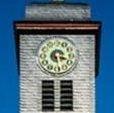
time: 3:28
